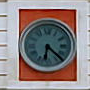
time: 6:22
